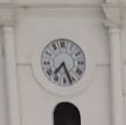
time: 7:26
